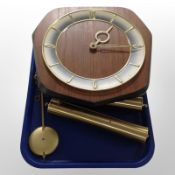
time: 1:16
